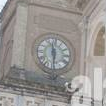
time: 11:30
